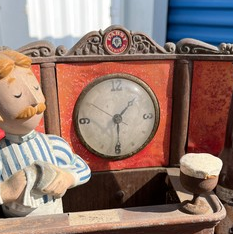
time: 1:29
